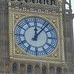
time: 12:06
